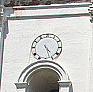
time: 4:26
